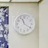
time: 11:20
